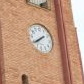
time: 7:39
